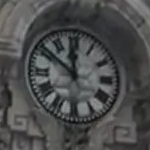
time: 11:51
